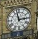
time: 2:58
